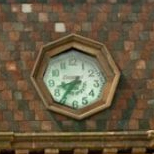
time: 8:36
